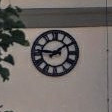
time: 1:46
